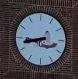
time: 8:42
